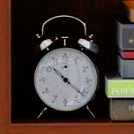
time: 10:21
